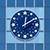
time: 12:09
